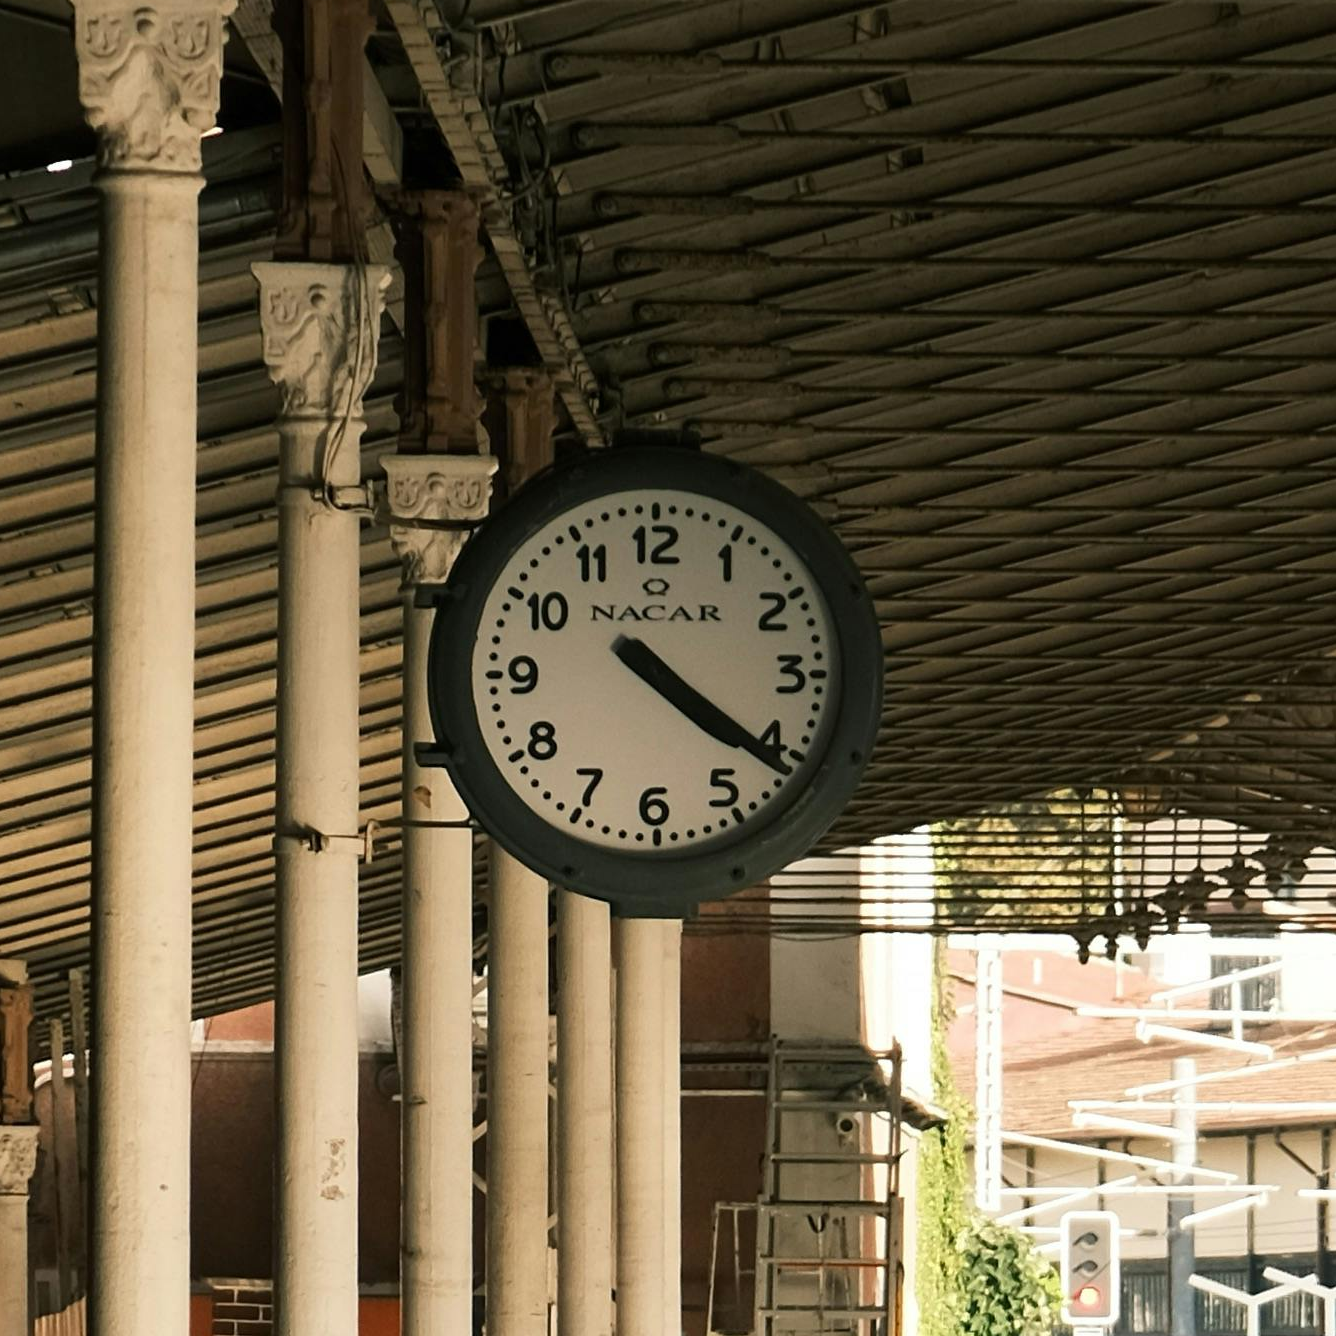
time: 4:21
